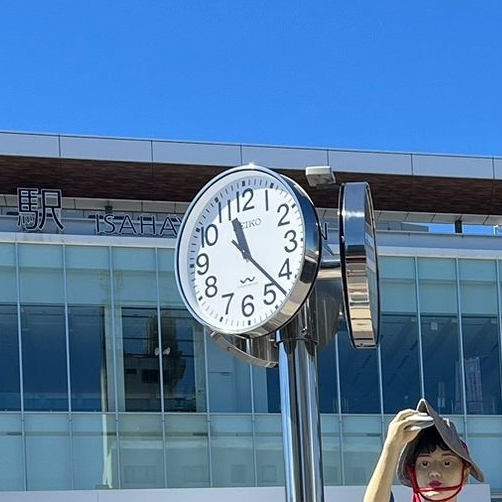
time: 11:22
